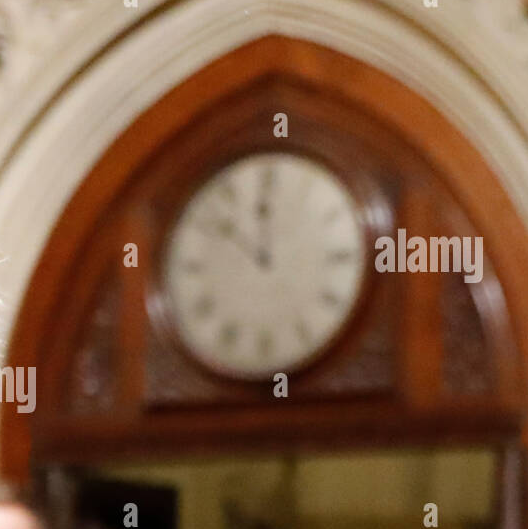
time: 11:51
